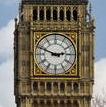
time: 2:48
